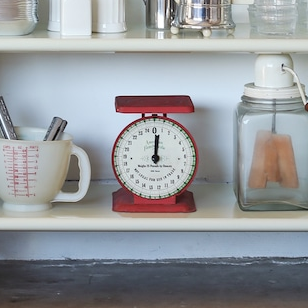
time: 12:00
